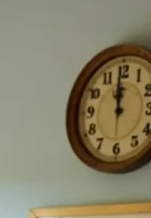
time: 11:59
